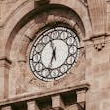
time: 11:32
